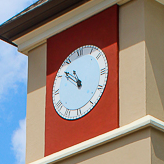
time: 10:51
